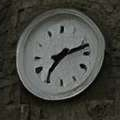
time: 7:12
